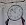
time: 11:52
